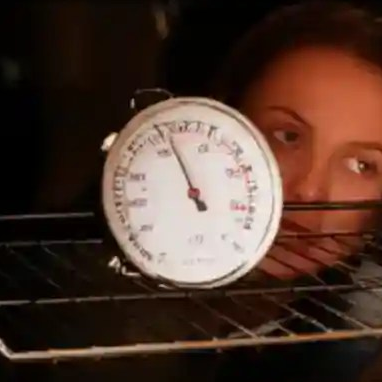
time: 4:56
